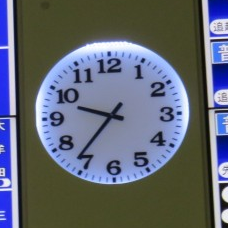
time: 9:36
